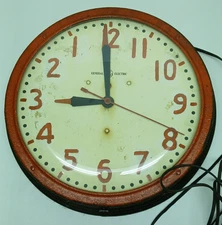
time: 8:59
